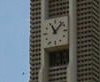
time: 11:07
